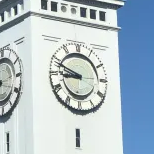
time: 8:48
